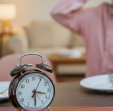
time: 3:30
